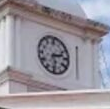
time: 2:29
